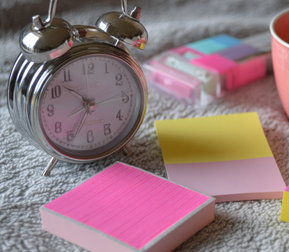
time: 10:34
